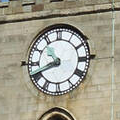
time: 10:41
